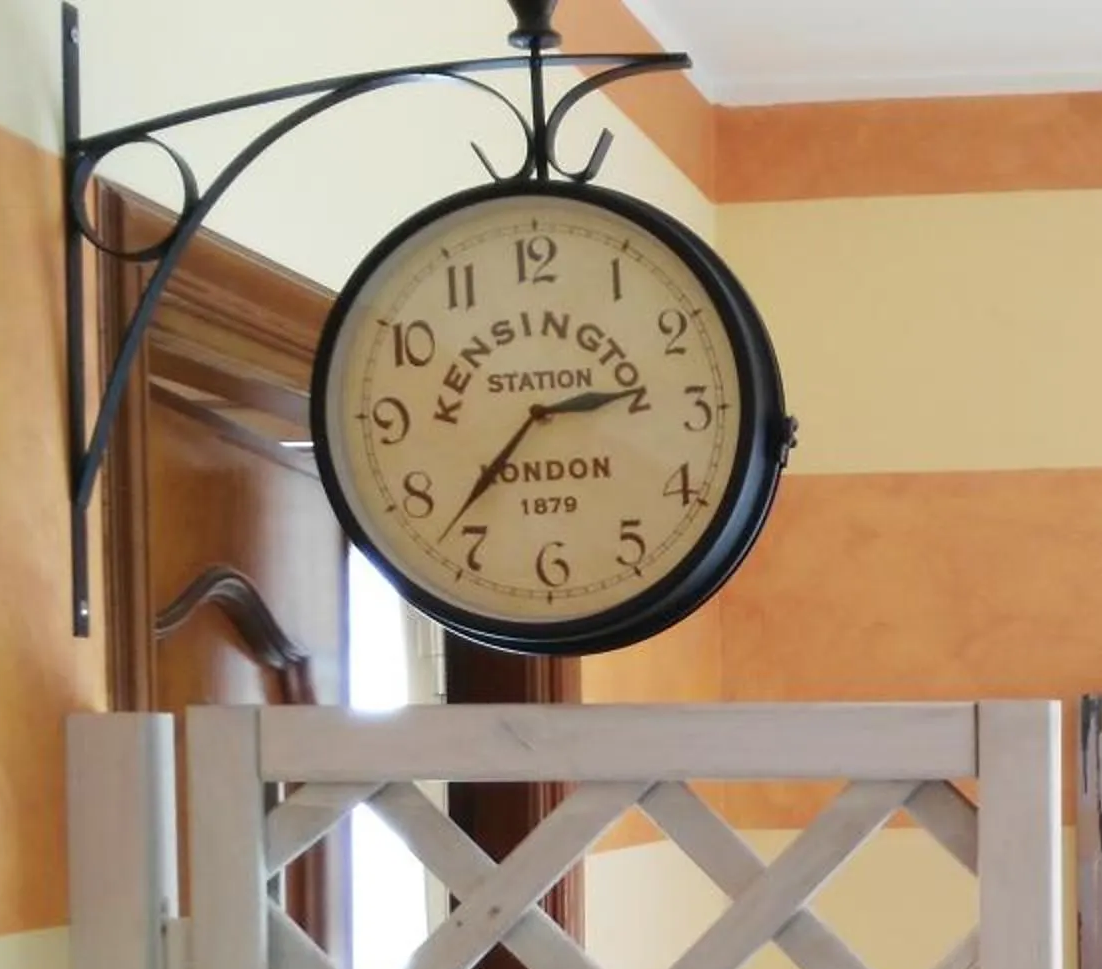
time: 2:36
